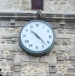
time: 10:22
